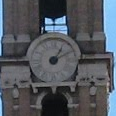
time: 1:10
